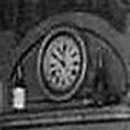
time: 11:50
